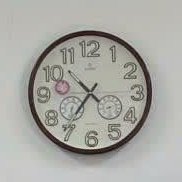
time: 10:36
